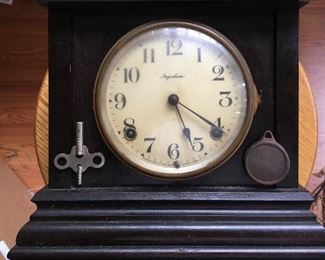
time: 5:20
